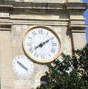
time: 8:09
